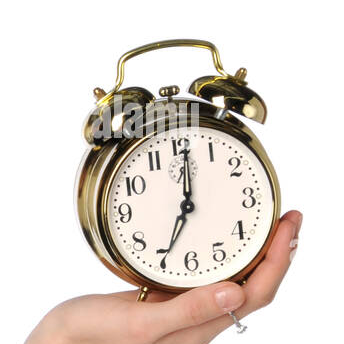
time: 7:01
